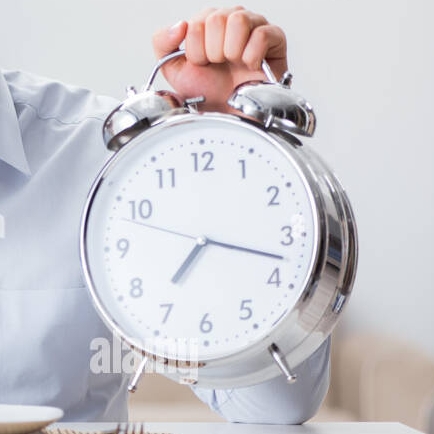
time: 7:17
